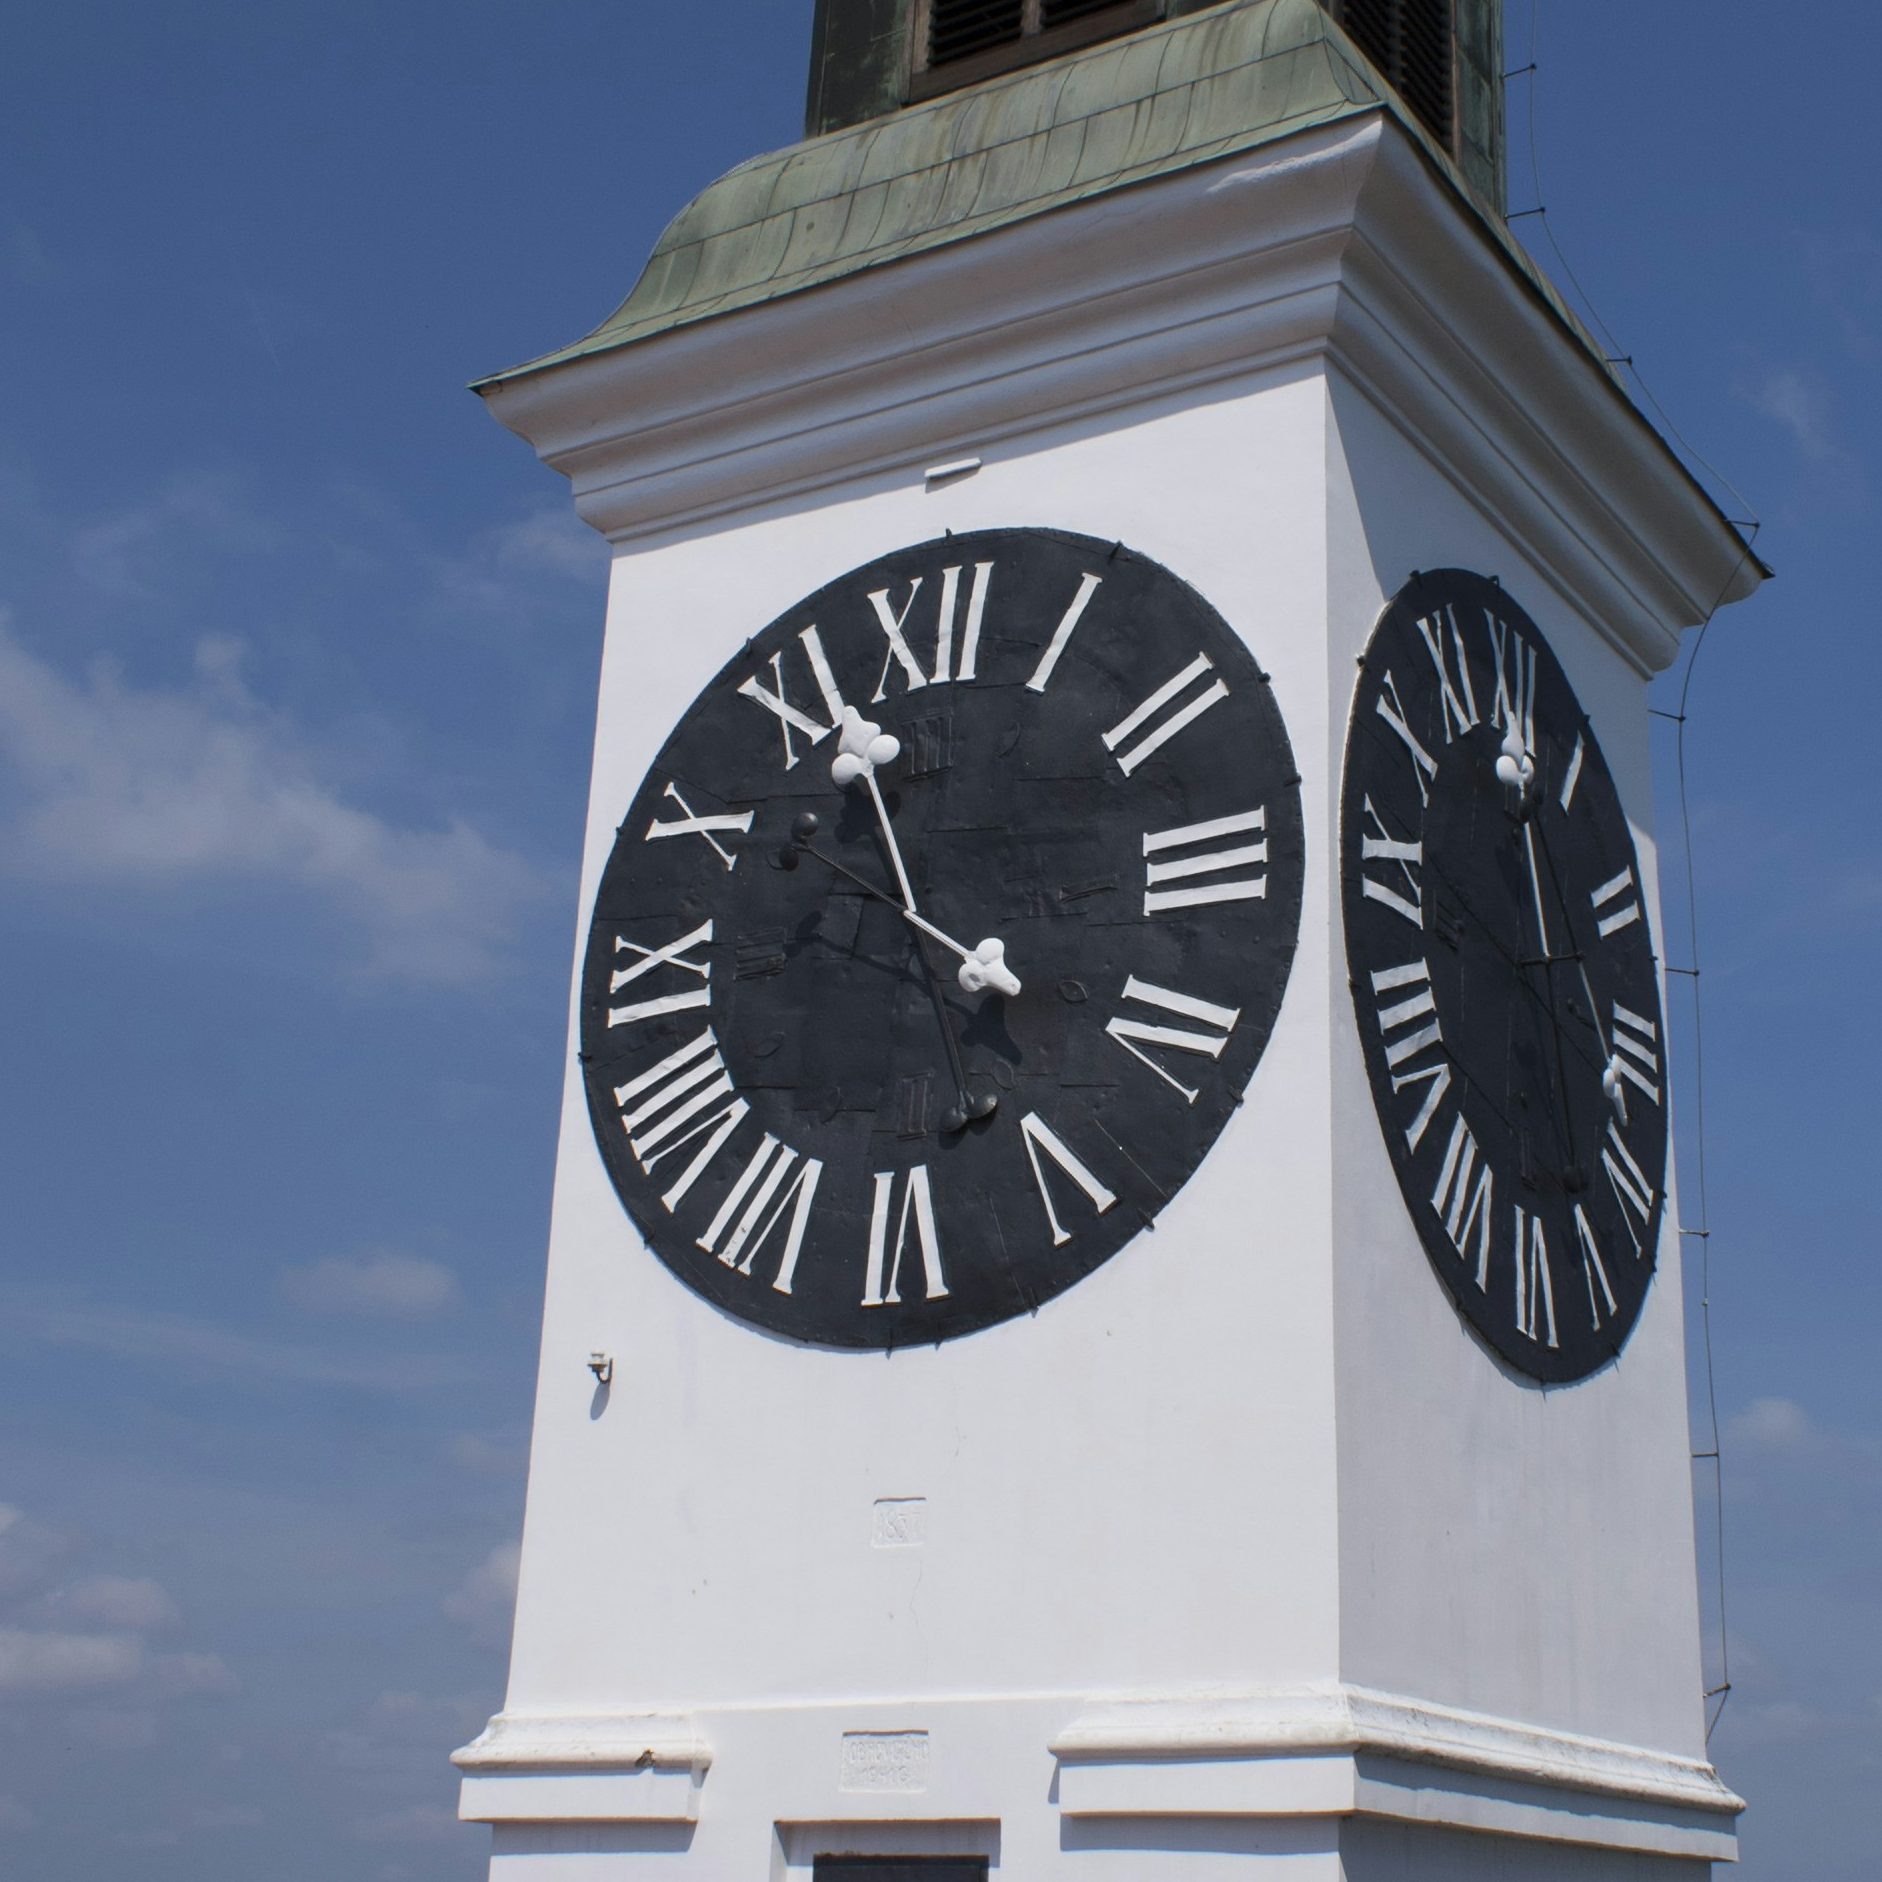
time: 3:56
